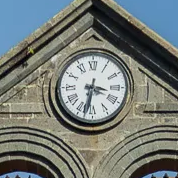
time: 3:32
